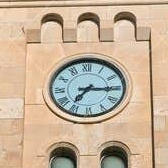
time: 7:15
